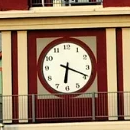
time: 6:18
